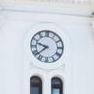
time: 9:38
